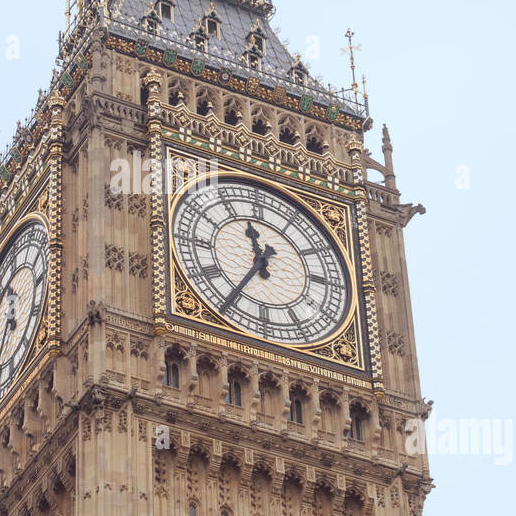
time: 11:35
